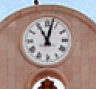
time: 11:02
